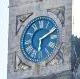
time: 6:10
